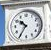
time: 10:35
